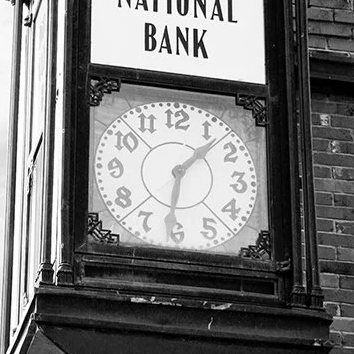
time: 1:31
